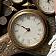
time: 9:50
